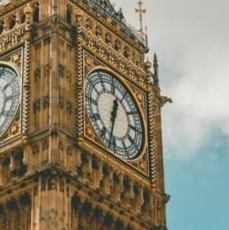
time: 12:32
